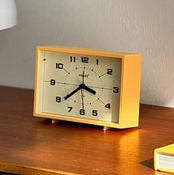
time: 3:38
